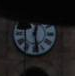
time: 12:28
